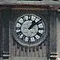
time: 1:08
